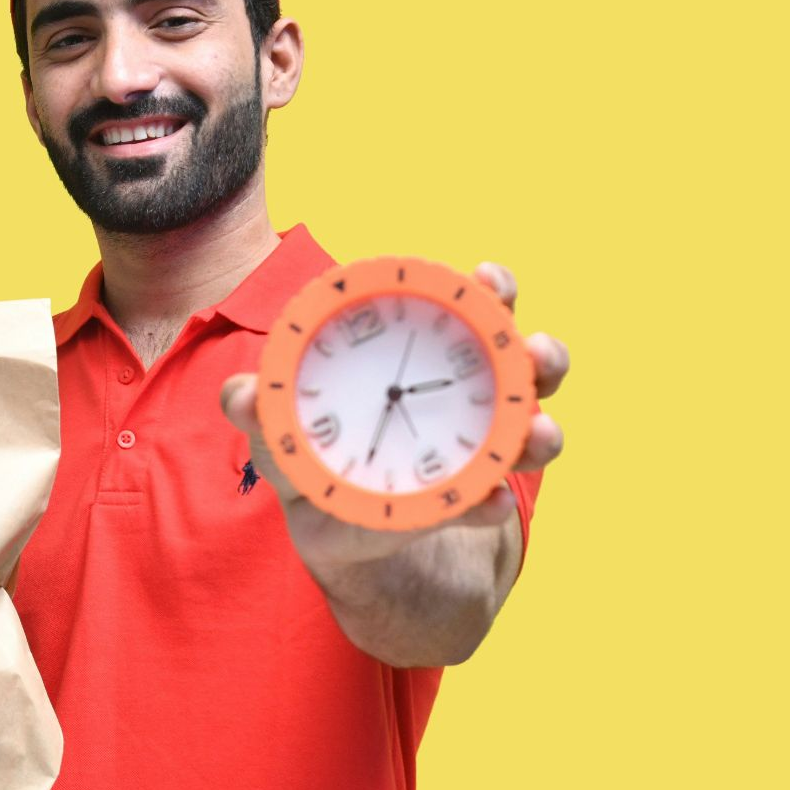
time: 2:33
